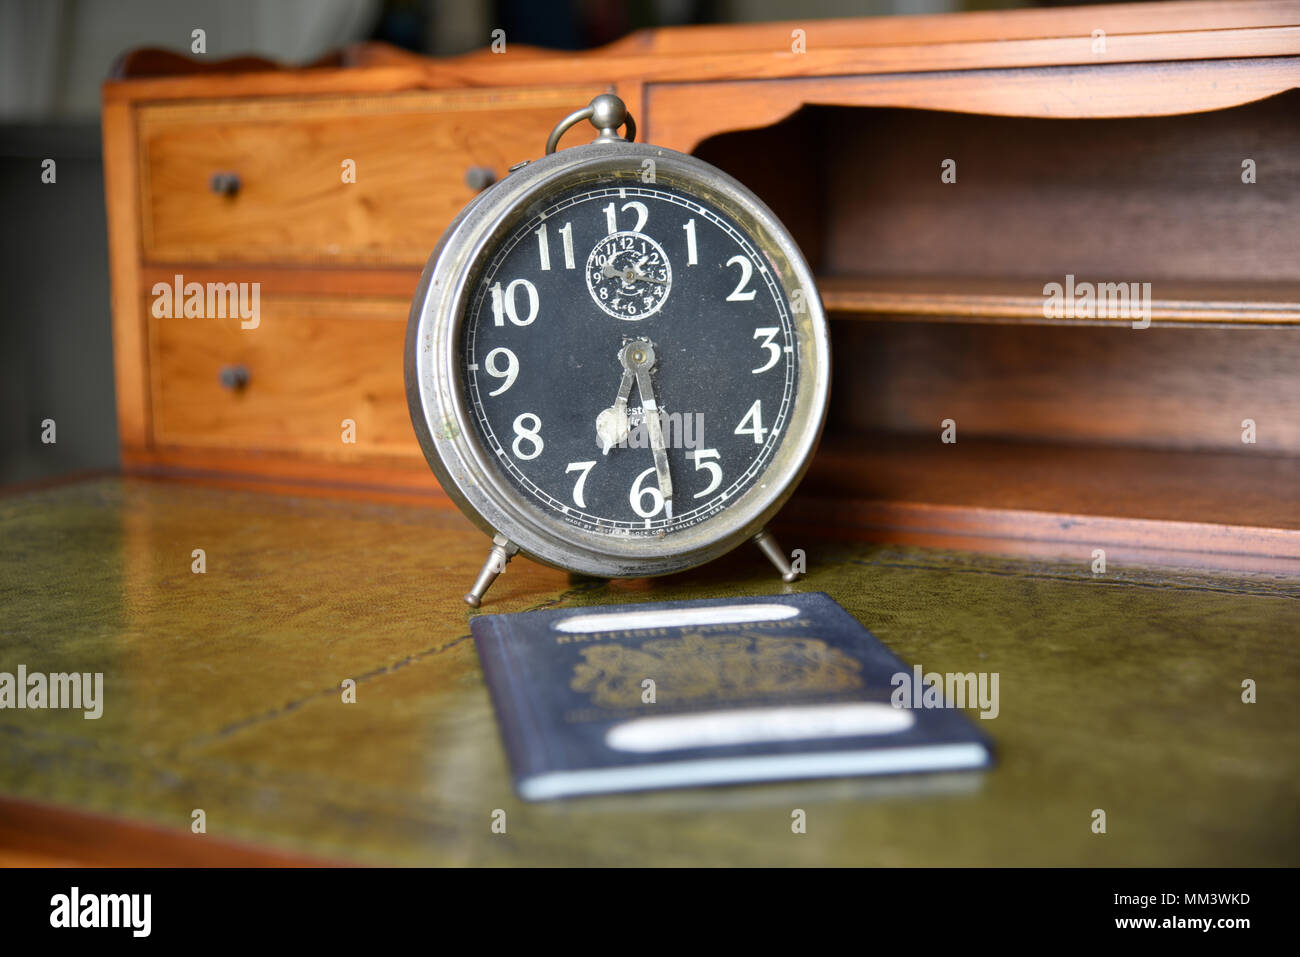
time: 6:28
